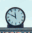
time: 11:49
